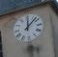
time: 12:07
